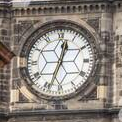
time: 12:33
